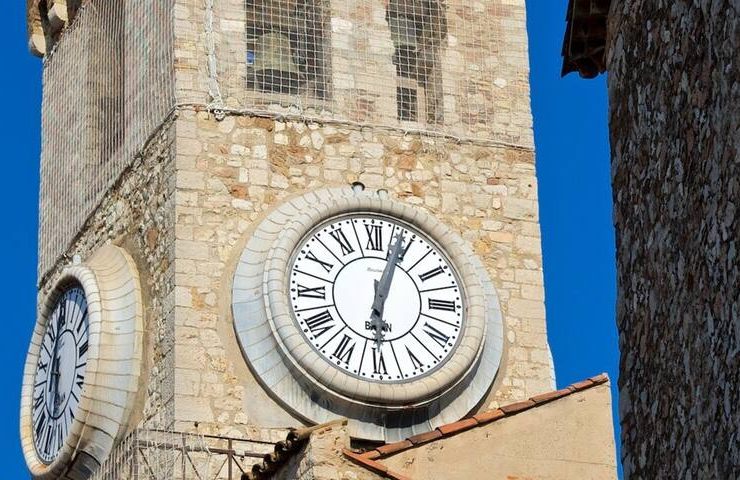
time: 6:03
